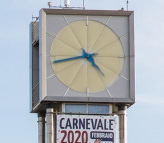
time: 4:42
